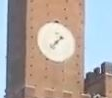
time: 1:37
